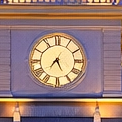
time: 7:25
